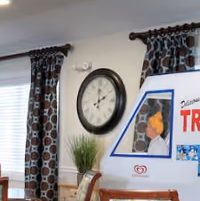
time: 2:00
